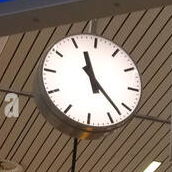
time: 11:22
